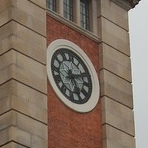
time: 5:11
